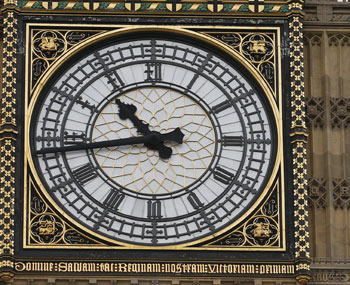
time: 10:43
